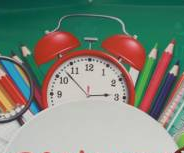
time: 2:52
